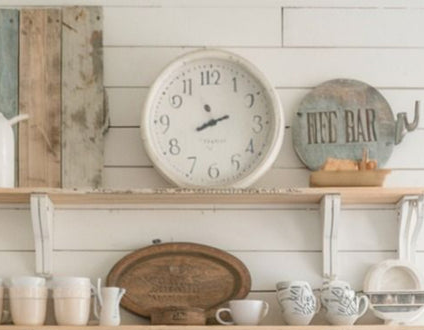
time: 8:11
